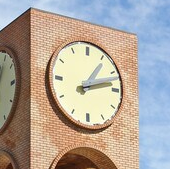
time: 1:12
